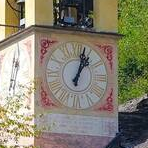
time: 1:02
